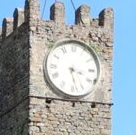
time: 3:28
